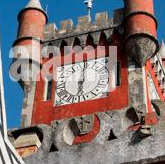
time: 5:59
